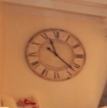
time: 11:21
